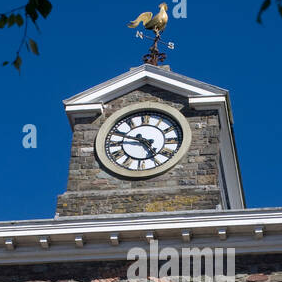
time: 4:48
